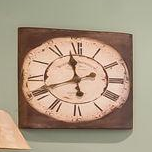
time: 11:41
